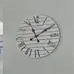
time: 11:09
